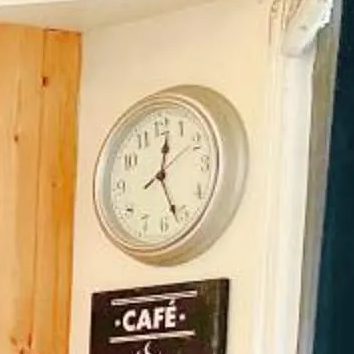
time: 12:26
